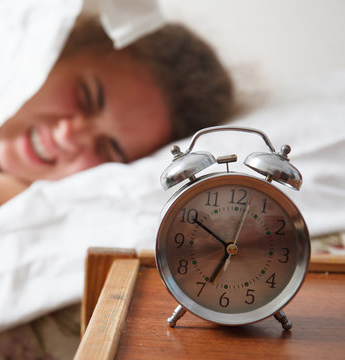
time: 6:50
